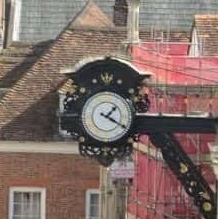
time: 1:20
